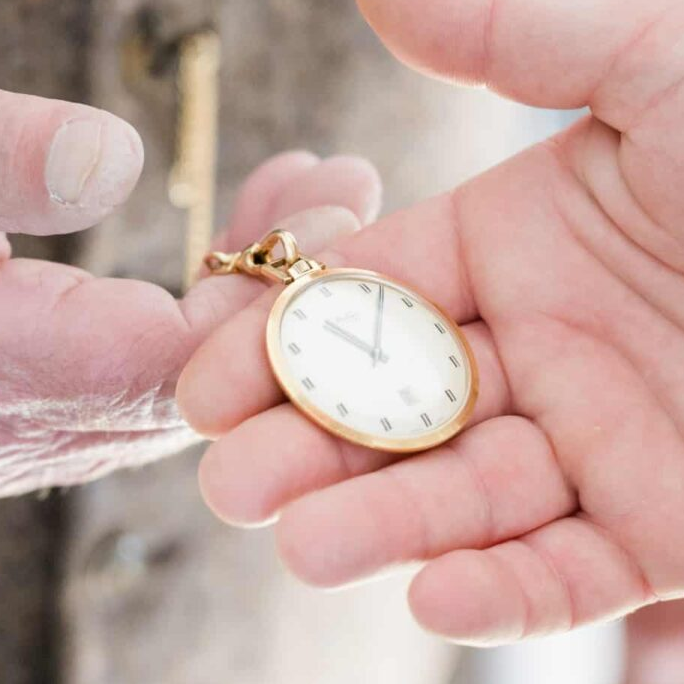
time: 10:02
